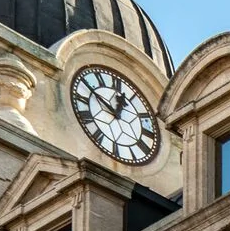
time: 12:49
